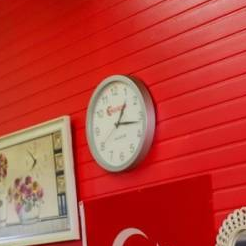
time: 1:16
